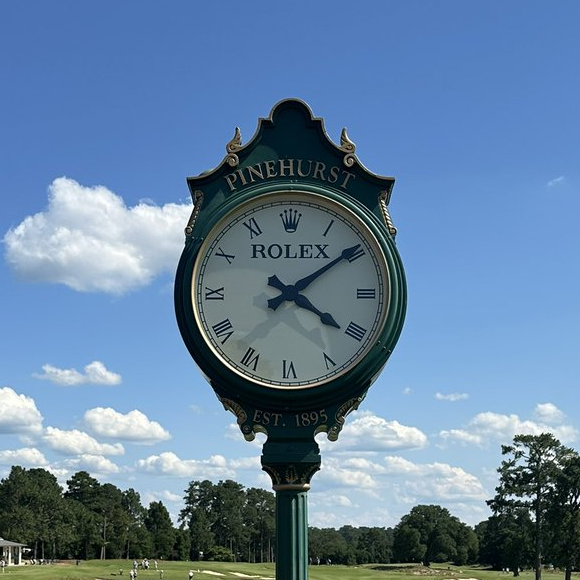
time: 4:09
